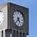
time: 4:36
